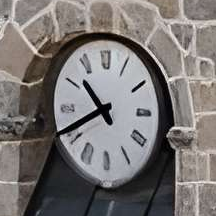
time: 10:40
